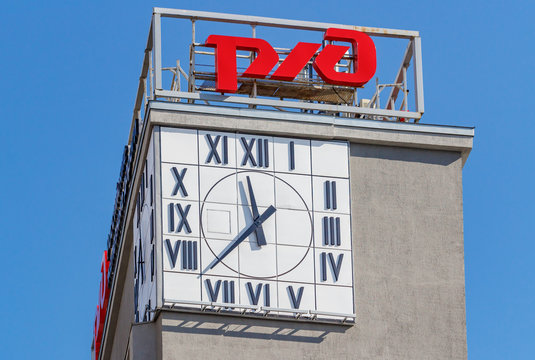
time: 11:37
